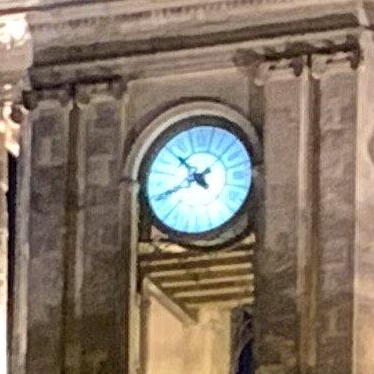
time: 10:40
